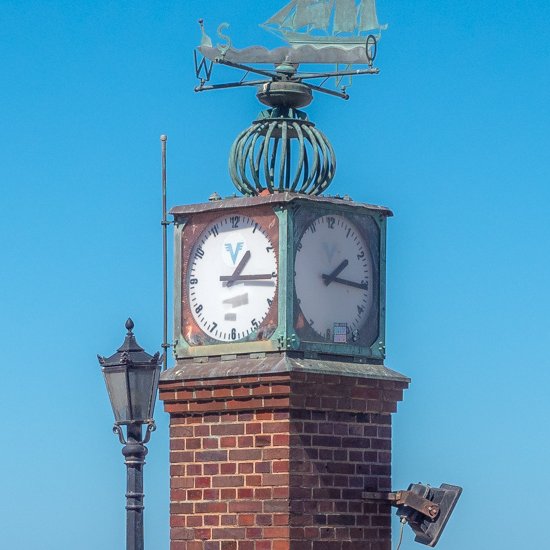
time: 1:15
